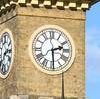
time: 2:29
